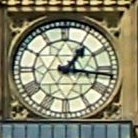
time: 1:16
